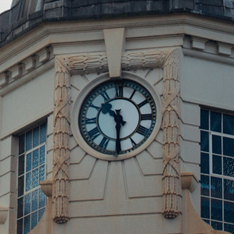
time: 10:30
